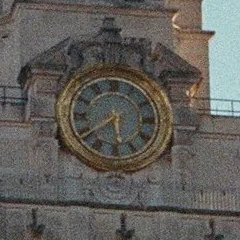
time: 5:38
